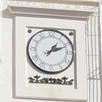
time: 1:11
